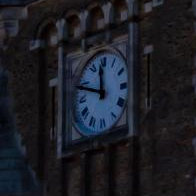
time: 11:48
